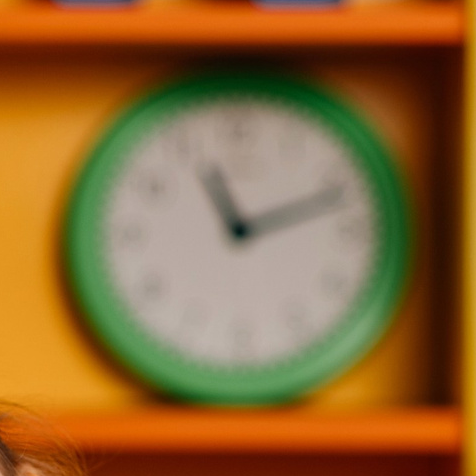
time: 11:11
